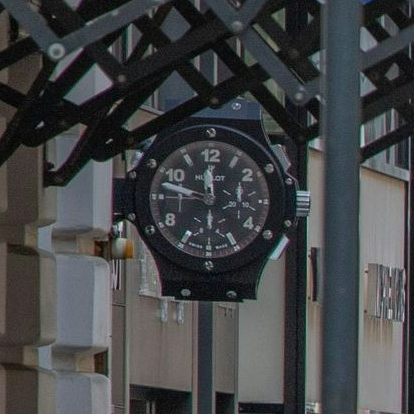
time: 11:47
